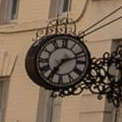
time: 7:12
